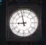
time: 8:57
